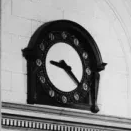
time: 9:21
